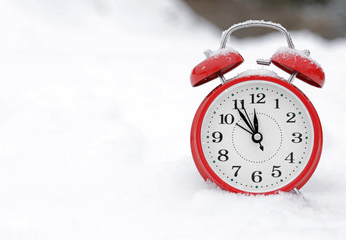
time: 11:54
